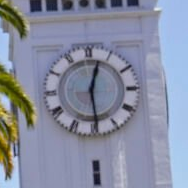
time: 12:29
